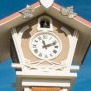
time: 11:11
